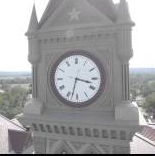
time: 3:32
